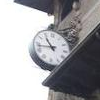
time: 10:43
